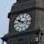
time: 10:14
